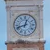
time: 12:41
